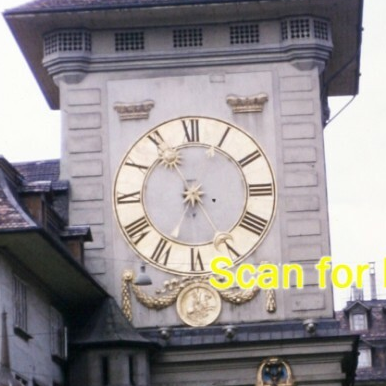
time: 6:55
